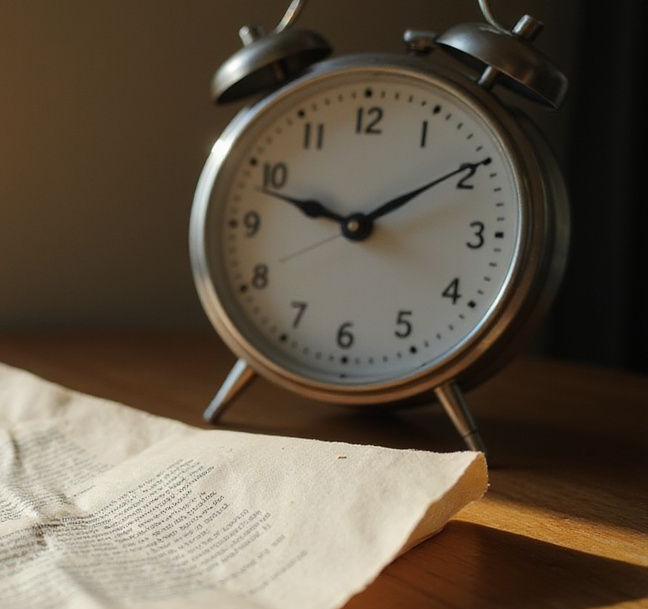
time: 9:48
